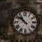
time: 10:51
